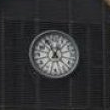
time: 12:55
